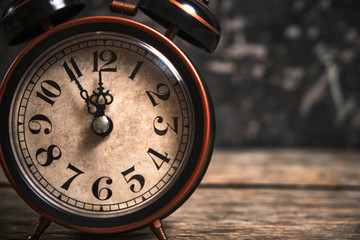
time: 11:54
